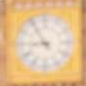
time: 8:54
